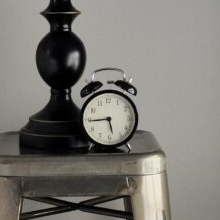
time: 5:44
